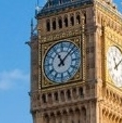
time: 11:07
